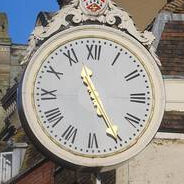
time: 11:25
